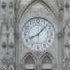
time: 8:07
